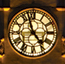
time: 4:57
